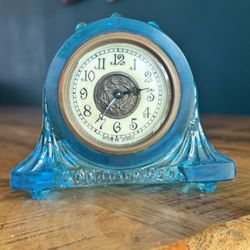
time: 7:13
